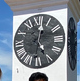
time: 5:02
